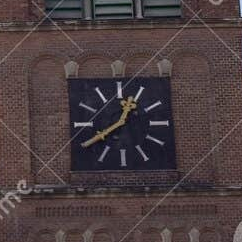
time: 12:38
